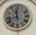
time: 11:42
